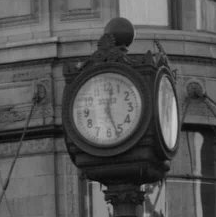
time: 12:26
